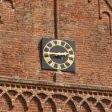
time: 2:45
